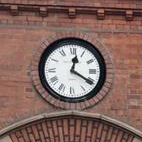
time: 12:20
